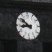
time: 8:51
